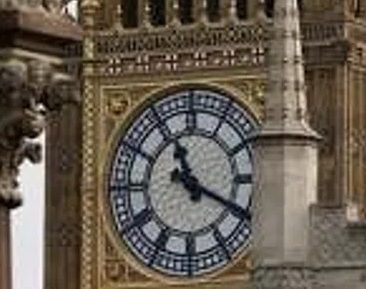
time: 11:19
